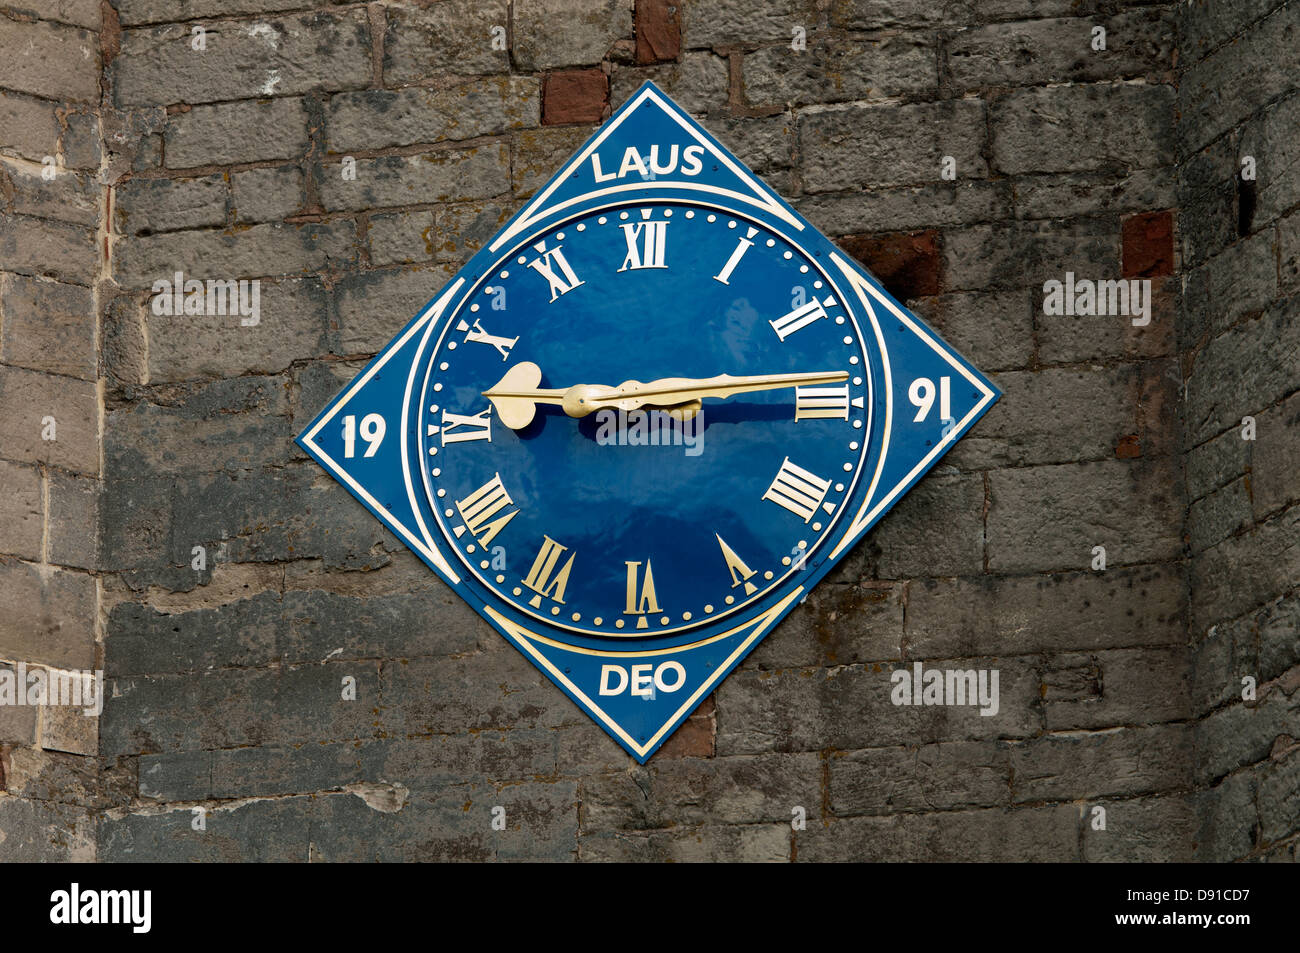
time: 9:14
